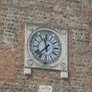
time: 11:37
